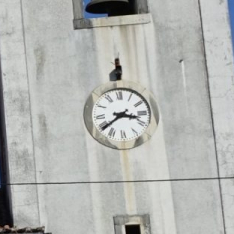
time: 3:39
